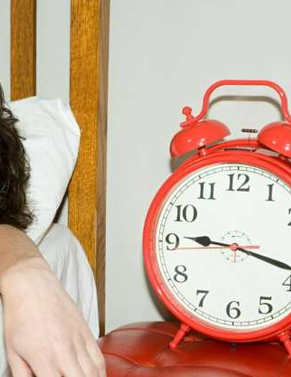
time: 9:17
